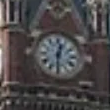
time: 12:30
